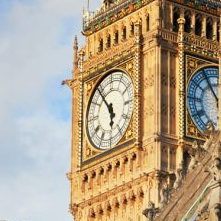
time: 5:54
